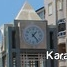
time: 1:23
